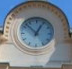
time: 12:52
